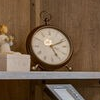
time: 5:11
